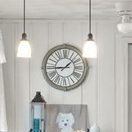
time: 1:44
